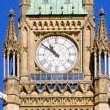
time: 10:51
